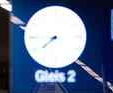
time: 7:45
